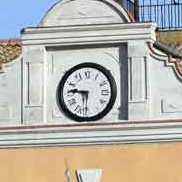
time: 9:30
